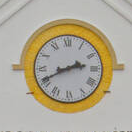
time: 2:40
